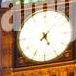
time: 5:07
